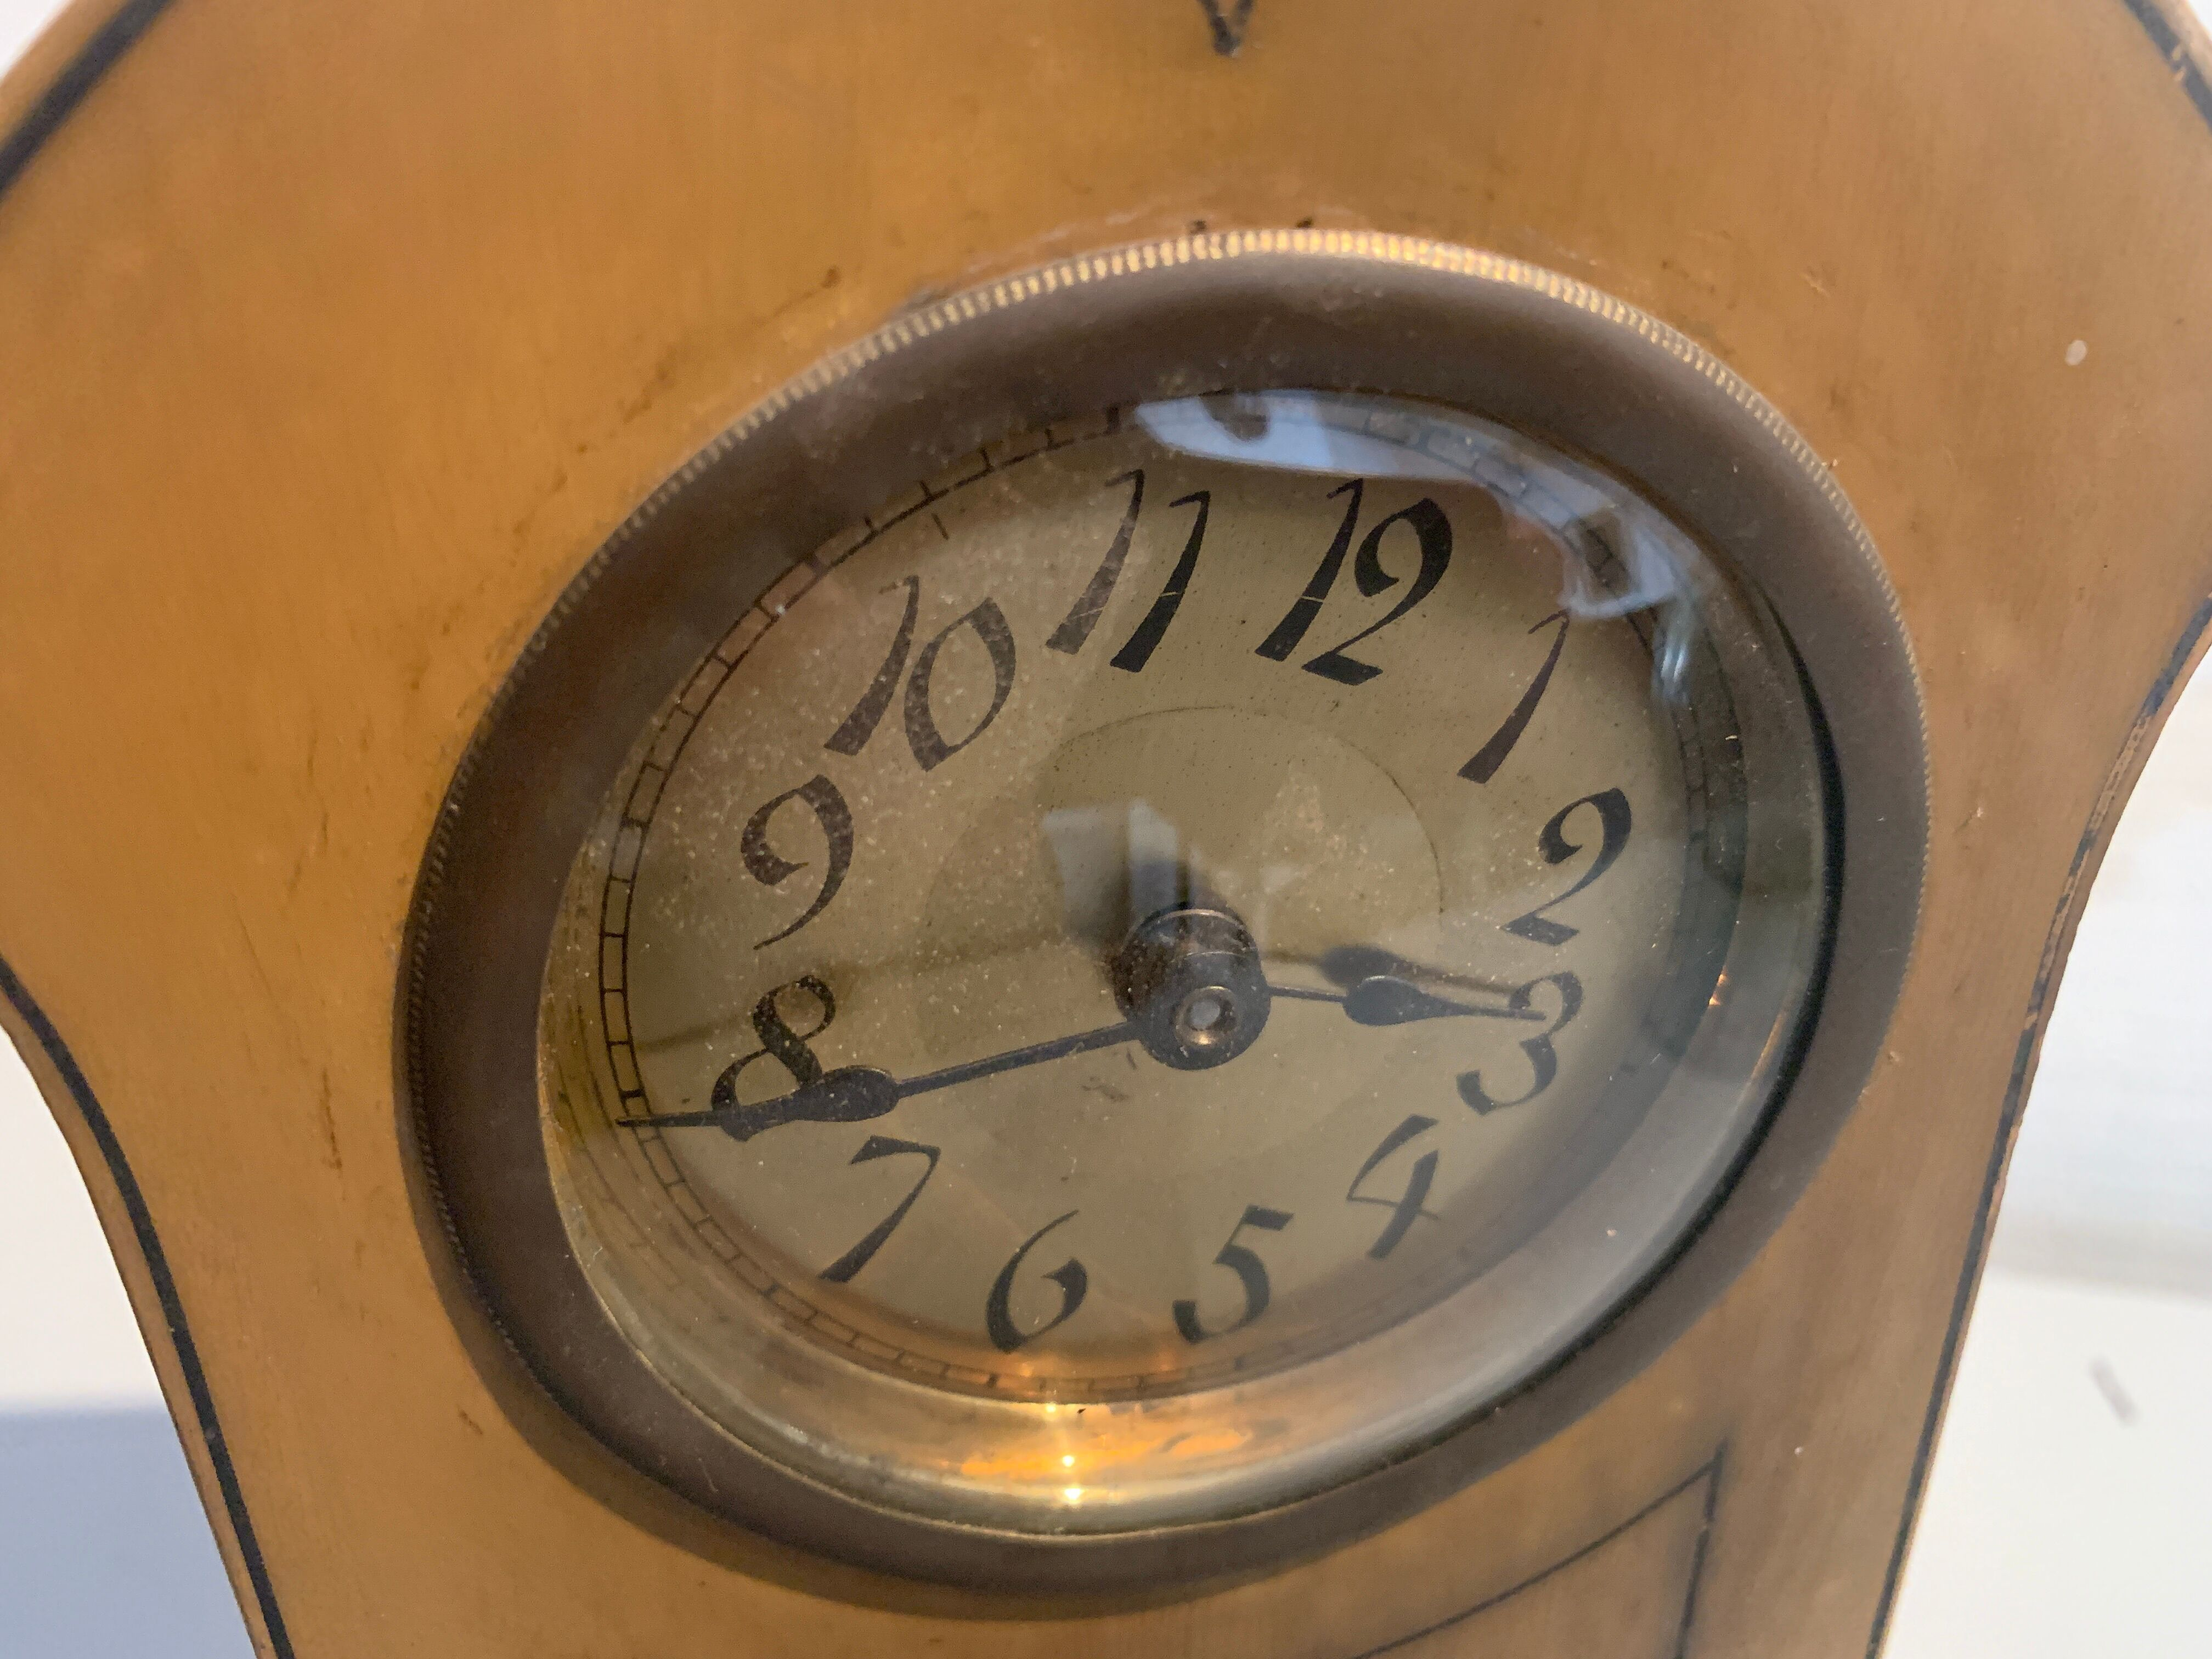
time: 2:40
